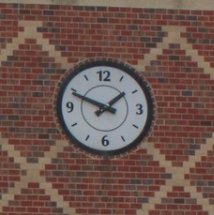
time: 1:48
